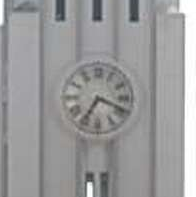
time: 7:18
